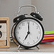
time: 7:00
